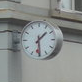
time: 1:29
